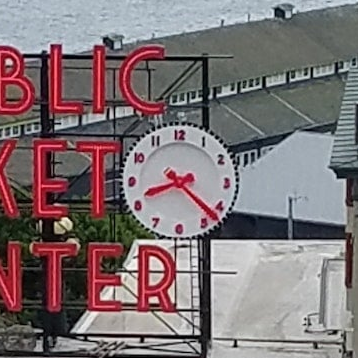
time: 8:22
